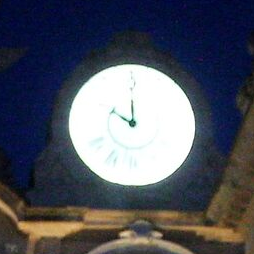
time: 10:00
